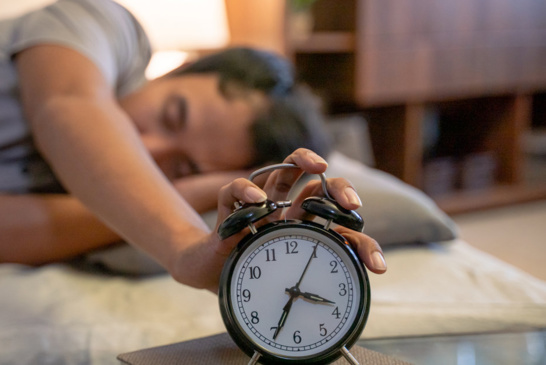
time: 3:34
